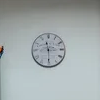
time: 11:30
